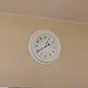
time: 12:39
